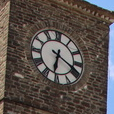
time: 6:19
